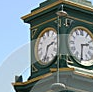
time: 2:33
